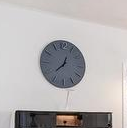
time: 12:37
